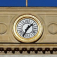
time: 1:35
